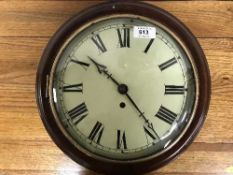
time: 10:23
